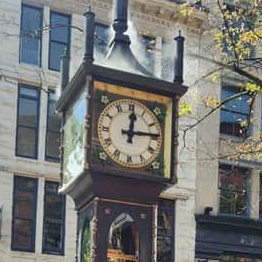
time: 12:14
